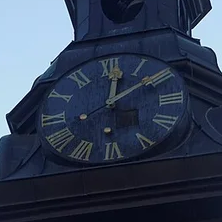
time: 12:09
